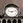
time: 9:12
